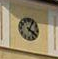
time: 4:04
